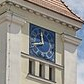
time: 11:42
